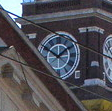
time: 1:50
